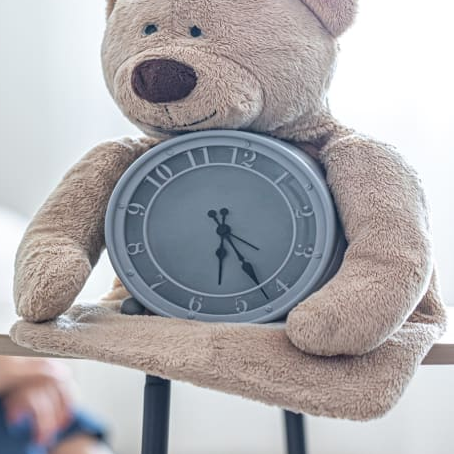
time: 5:22
